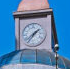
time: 1:36
